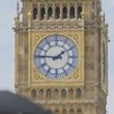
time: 1:46
